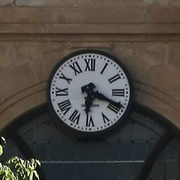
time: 6:18
